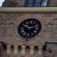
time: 2:50
